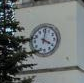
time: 4:01
